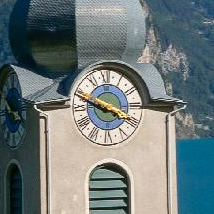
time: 3:48
